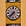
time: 7:37
